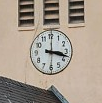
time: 3:17
